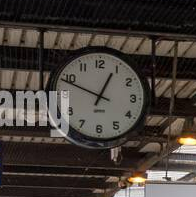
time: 12:48
